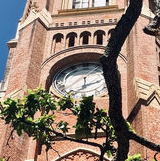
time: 12:11
